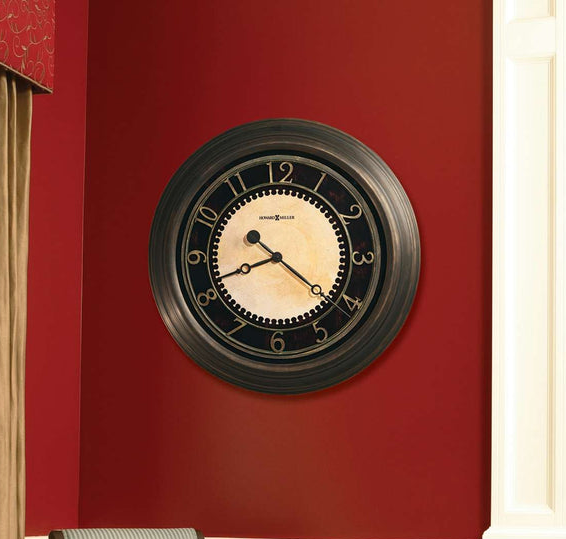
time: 8:21
